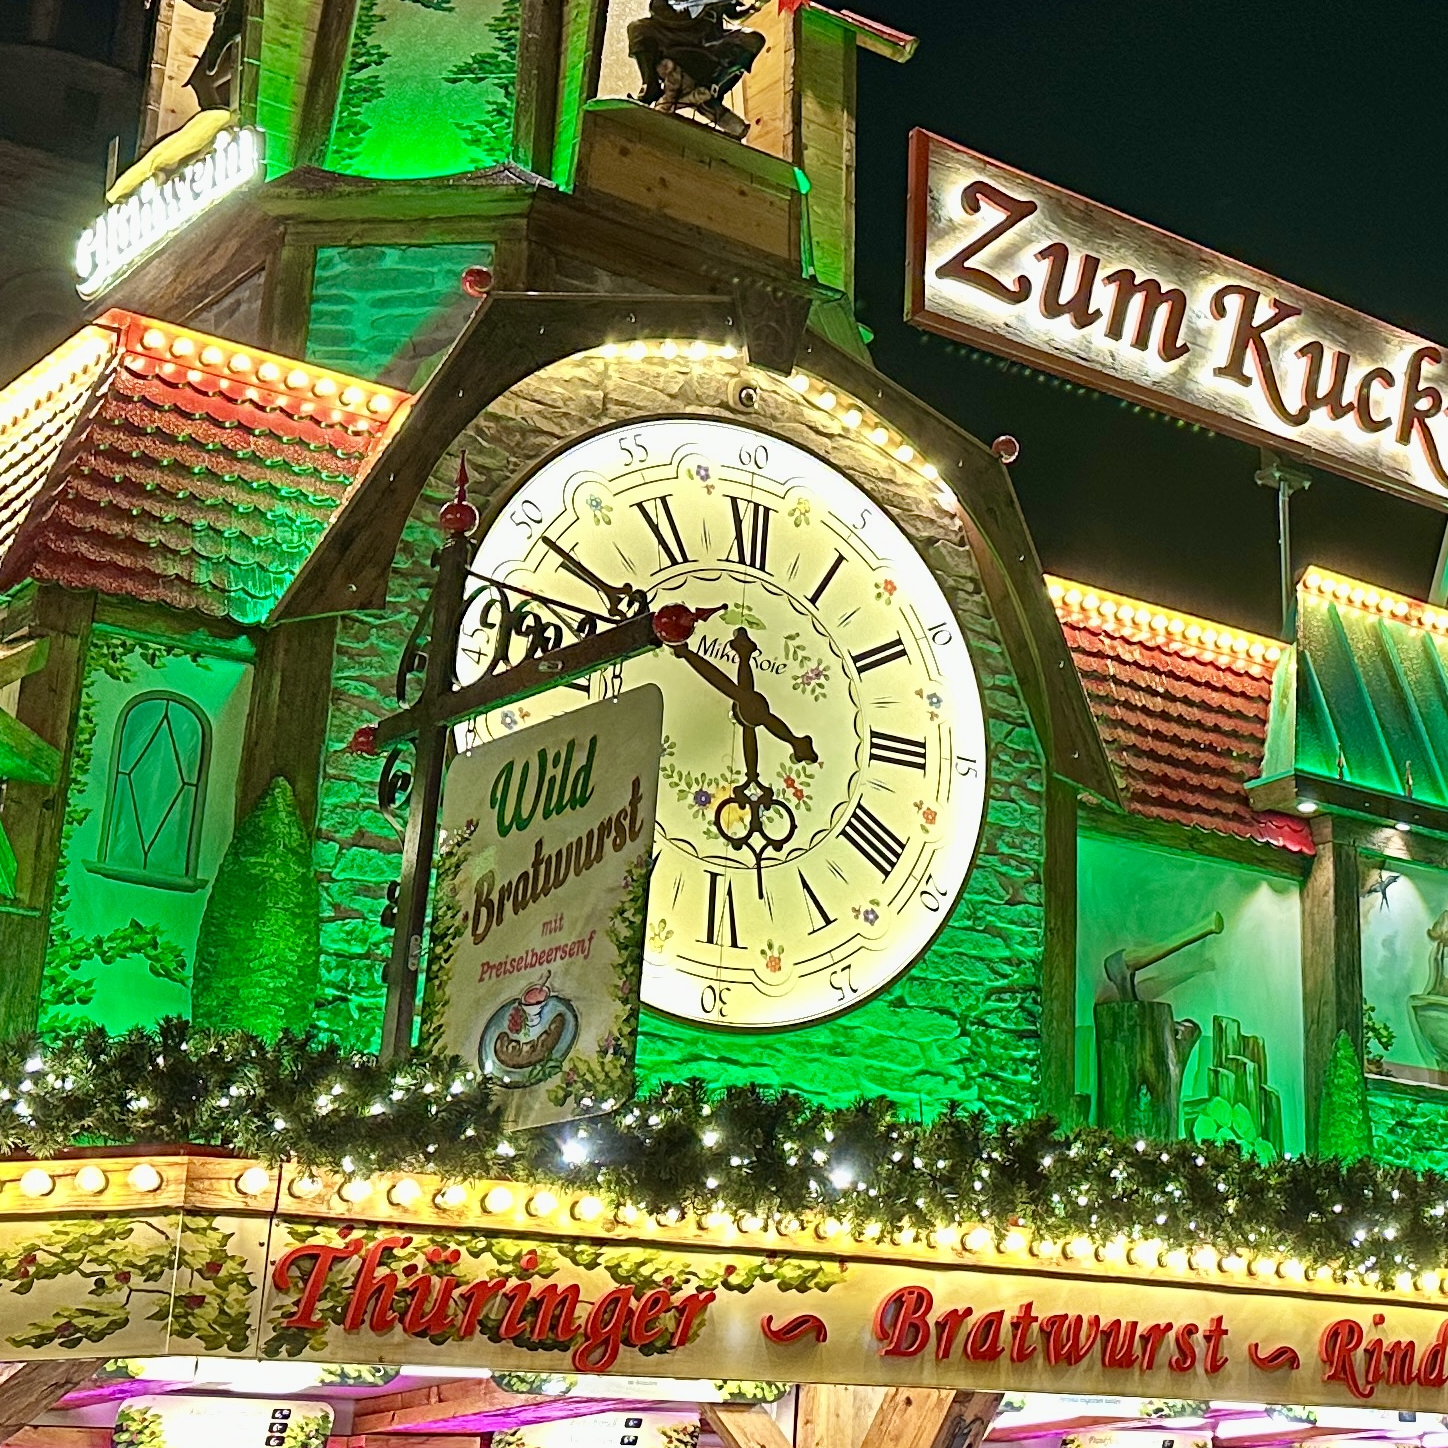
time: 5:49
